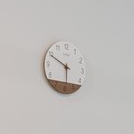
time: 5:49
